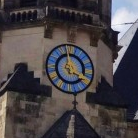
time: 3:58
